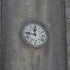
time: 11:46
